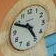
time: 4:49
